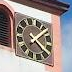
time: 4:08
